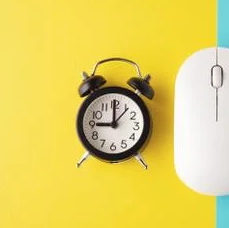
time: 9:00
